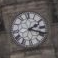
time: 2:18
